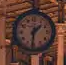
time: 1:31
